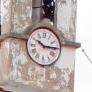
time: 10:14
